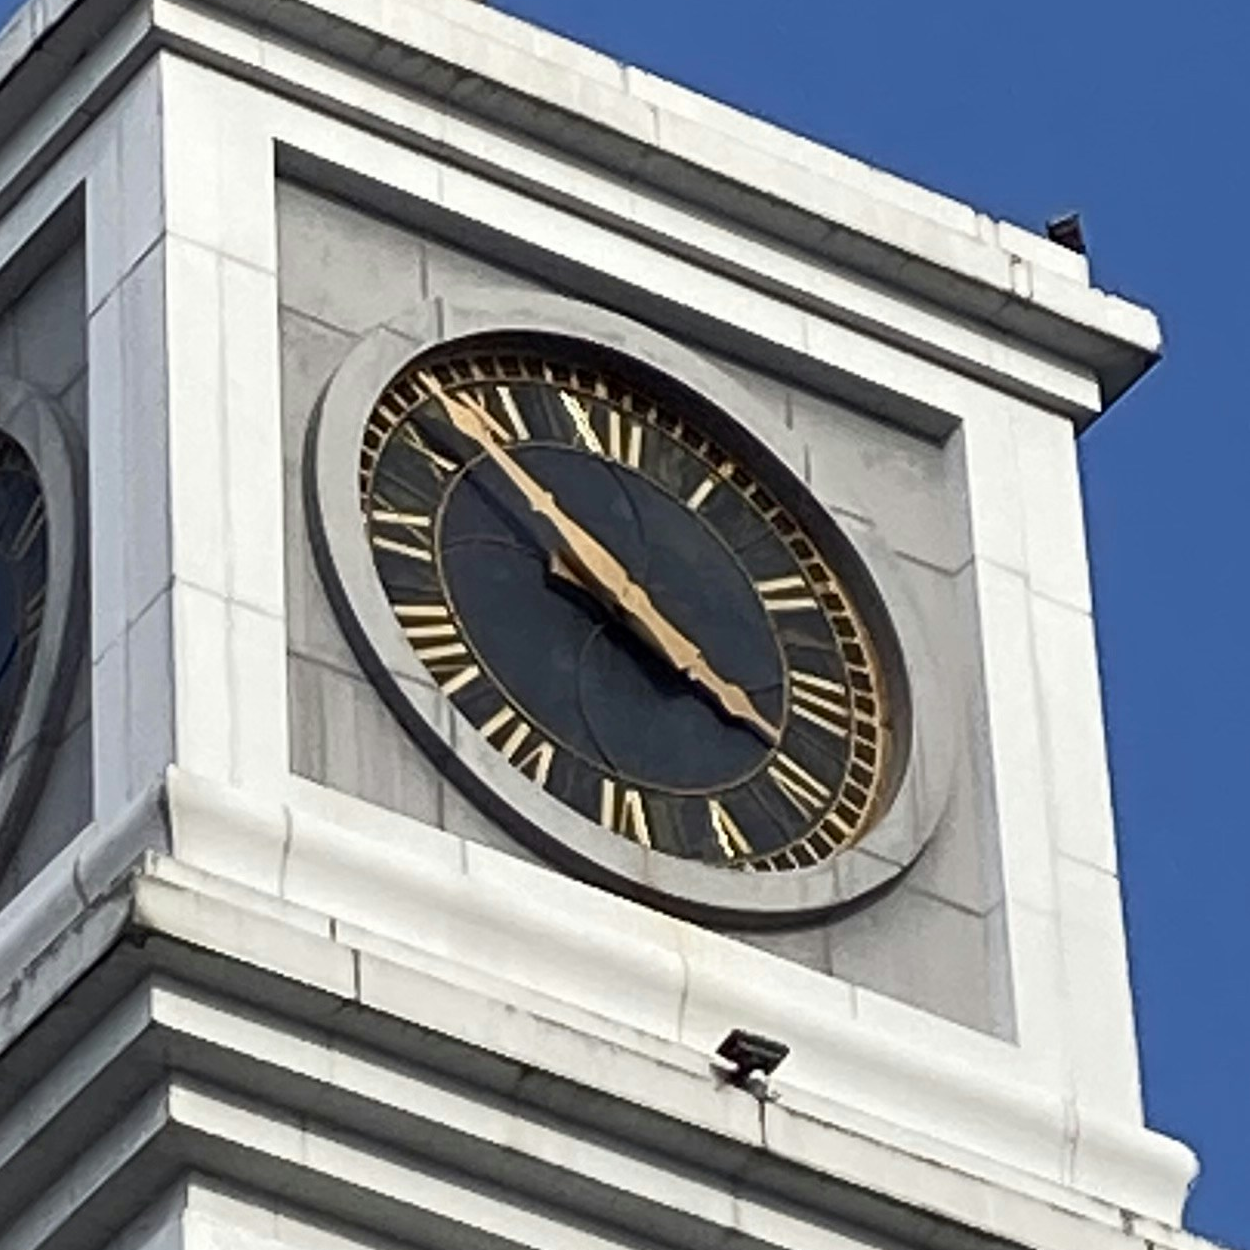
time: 3:52
